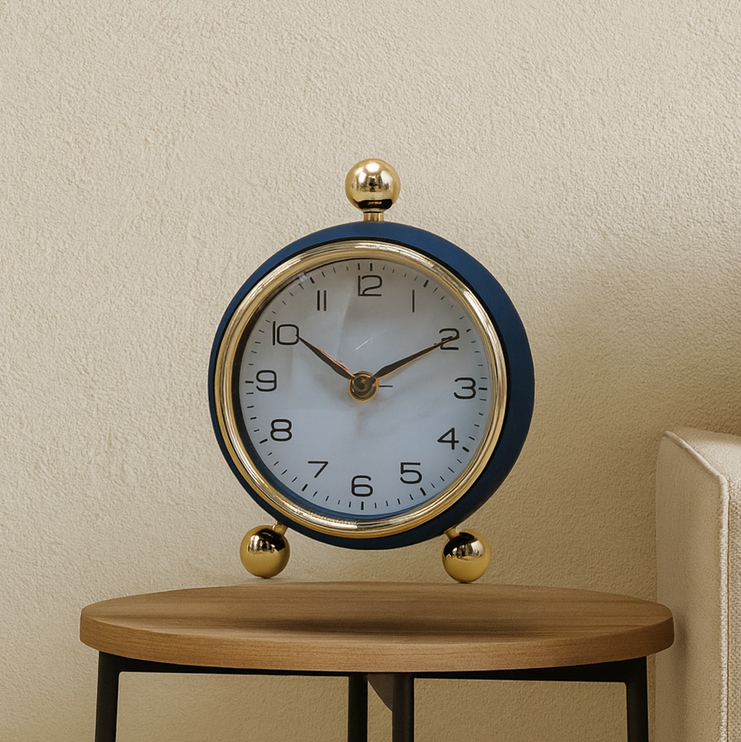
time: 10:10
